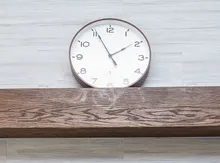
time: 1:55
